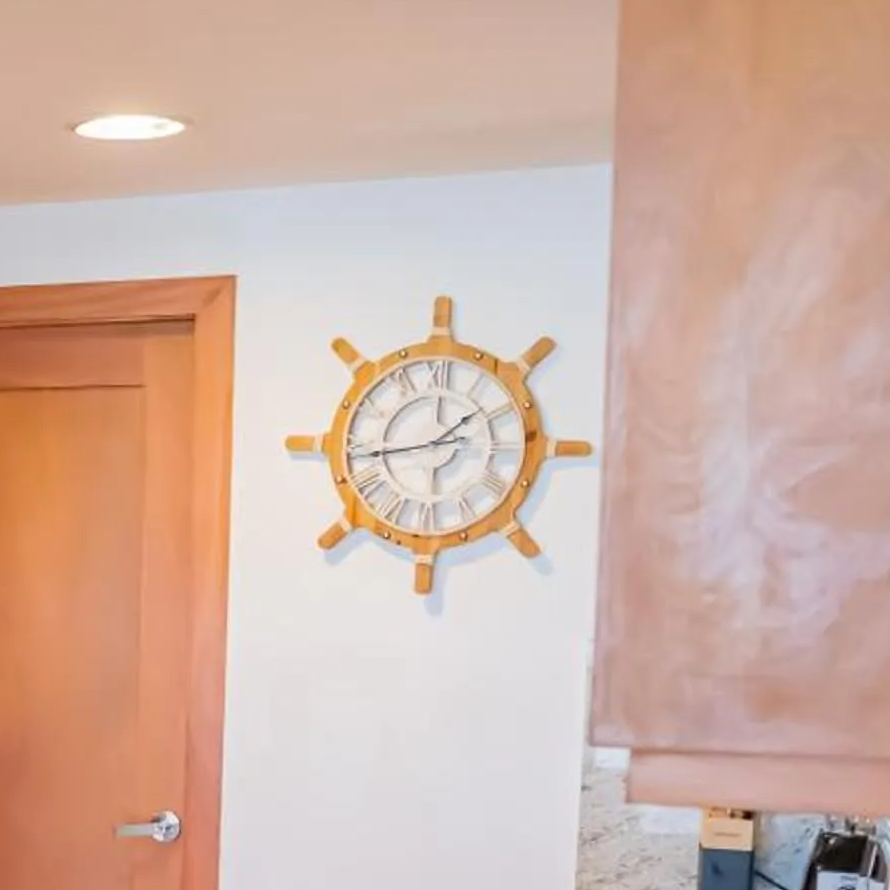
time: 1:43
